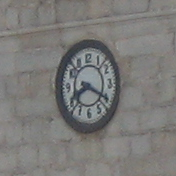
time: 8:19
